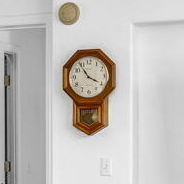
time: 3:54
